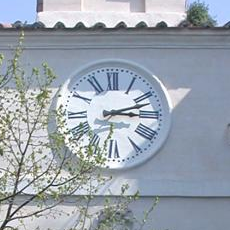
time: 3:12
